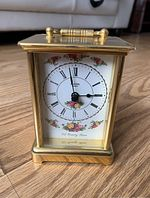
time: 2:58
